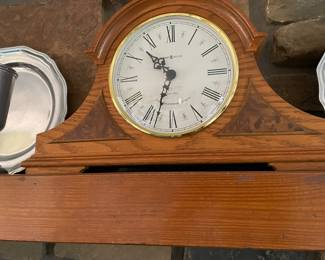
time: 10:33
